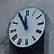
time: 11:55
